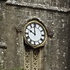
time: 9:59
